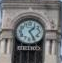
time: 1:24
